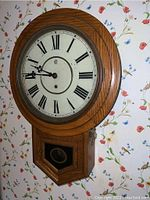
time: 9:45
